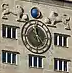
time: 12:24
